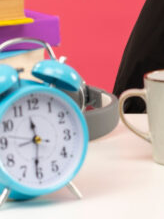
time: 11:31
